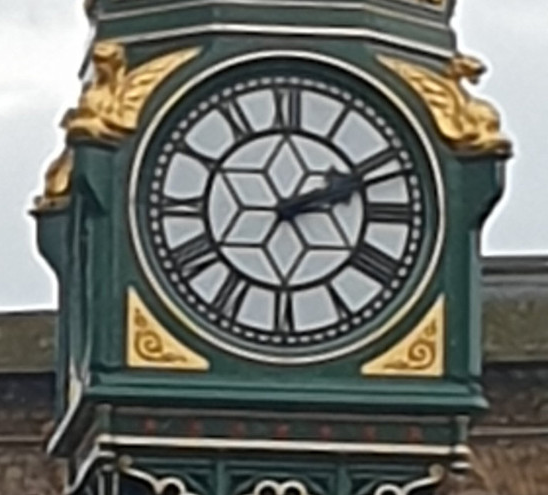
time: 2:11
